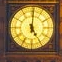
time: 5:00
